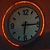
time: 6:15
